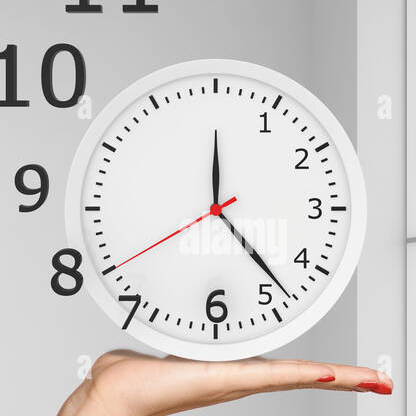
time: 12:23
